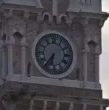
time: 6:36
